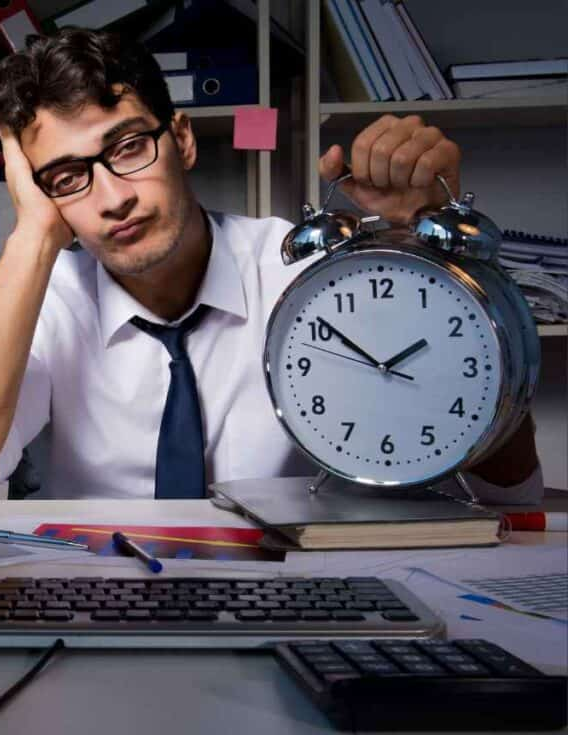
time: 1:51
